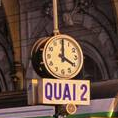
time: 4:00
